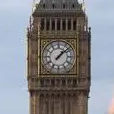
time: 1:08
